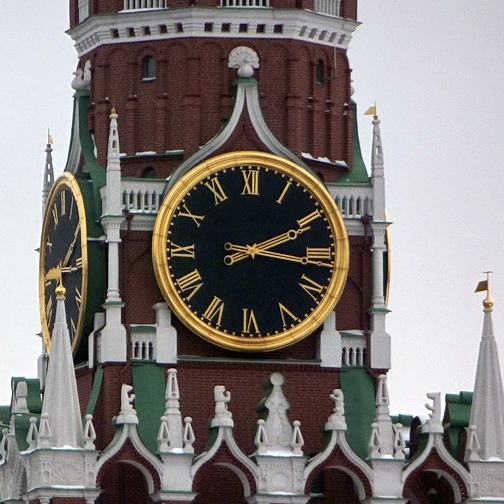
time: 2:16
